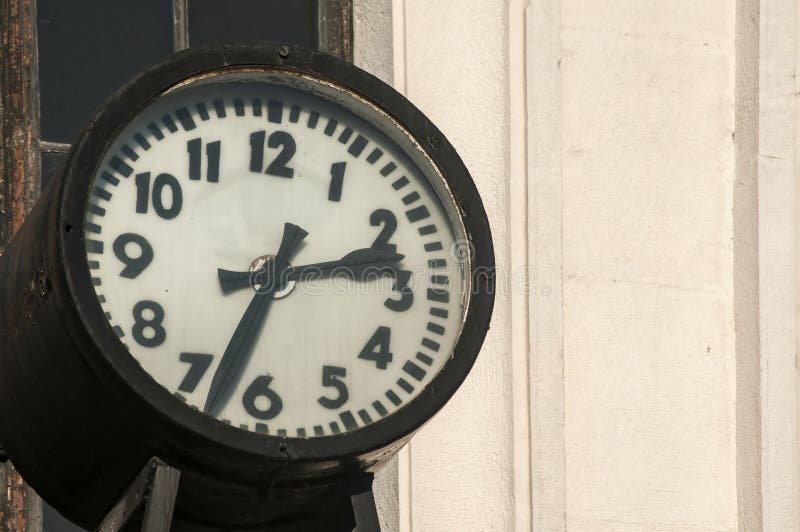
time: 2:33
